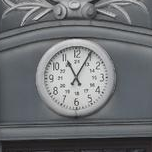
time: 11:04
